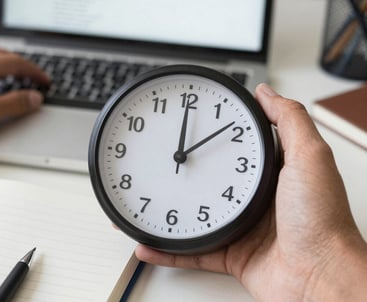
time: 12:08
